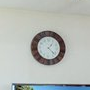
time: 1:22
